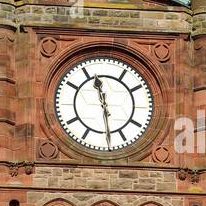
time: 11:28
